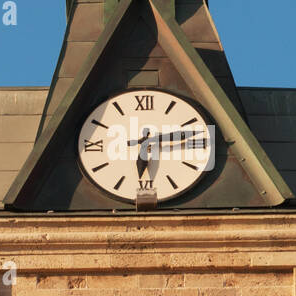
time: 6:13
